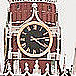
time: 4:13
